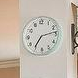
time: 7:13
